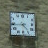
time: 4:44
